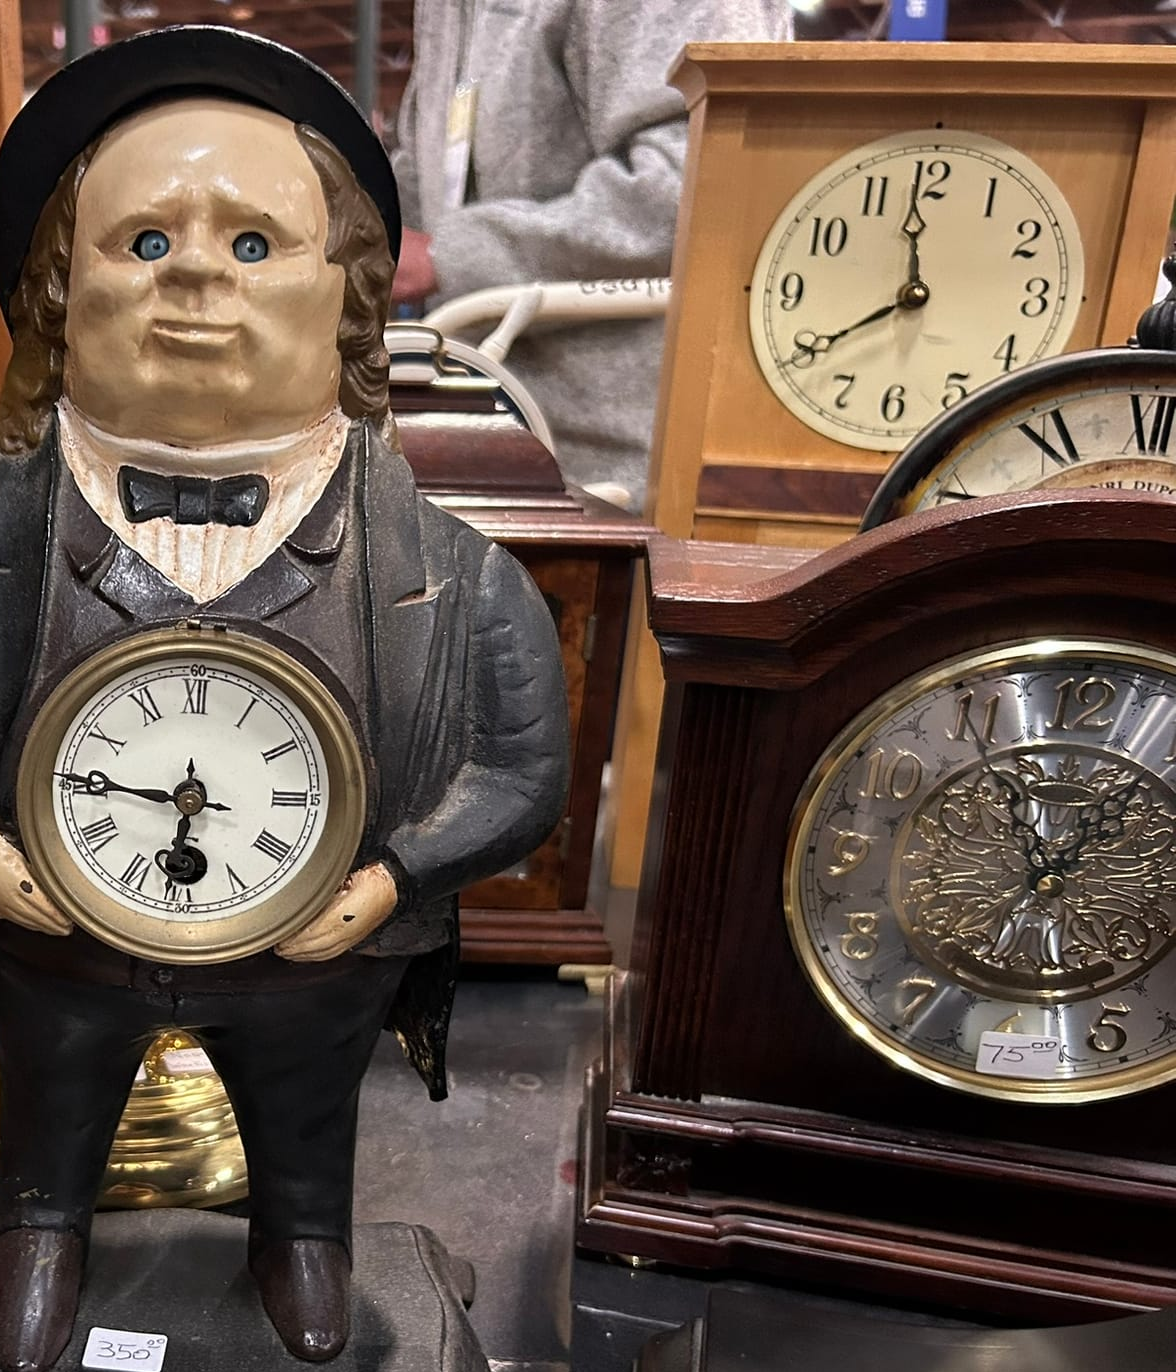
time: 7:59
